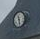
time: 11:28
